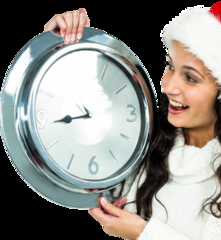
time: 8:43
